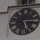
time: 5:14
